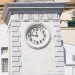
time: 11:46
